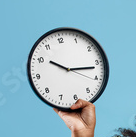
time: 10:16
